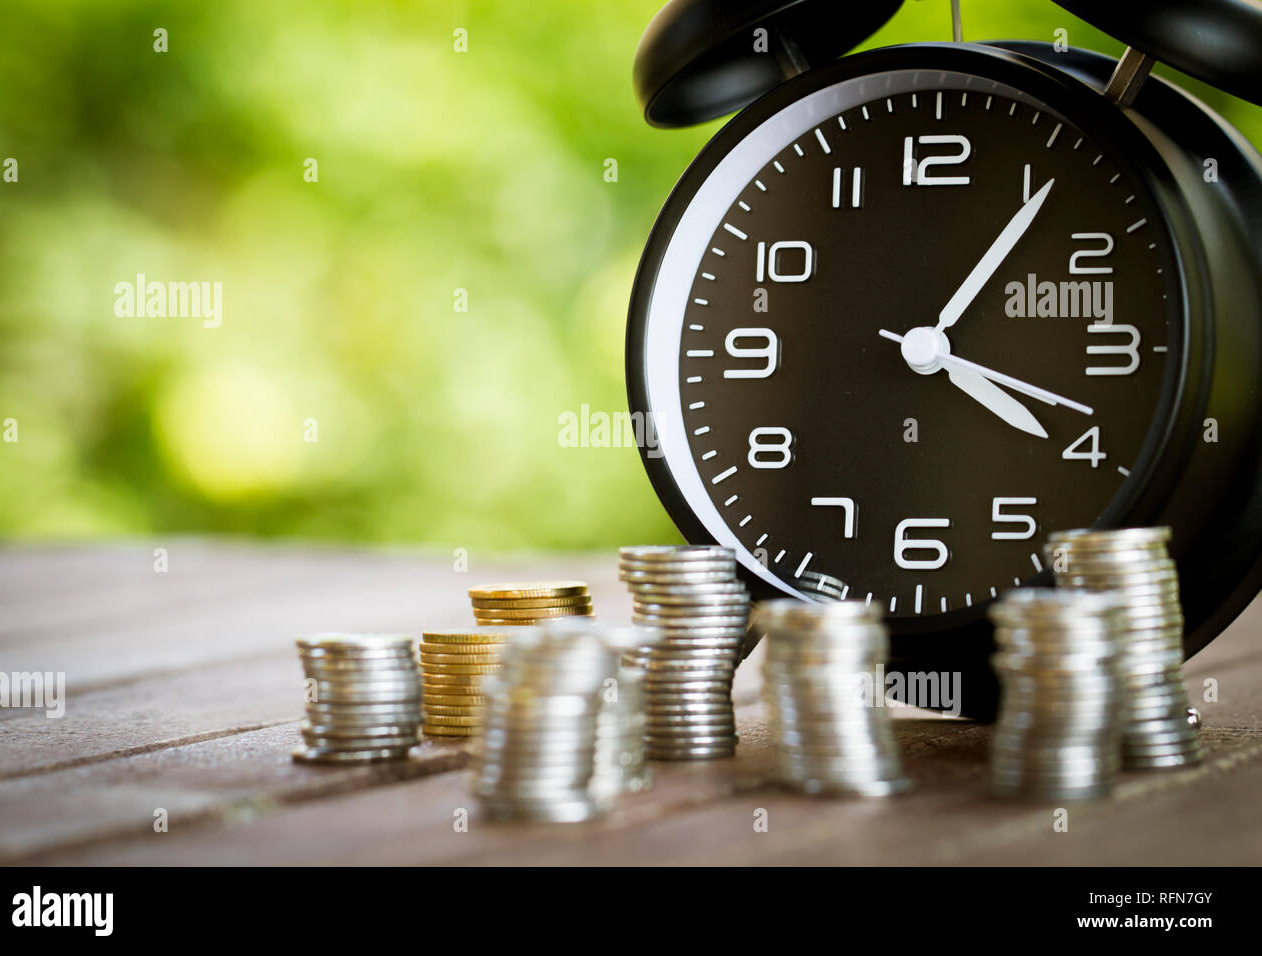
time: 4:06
